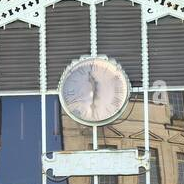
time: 11:31
